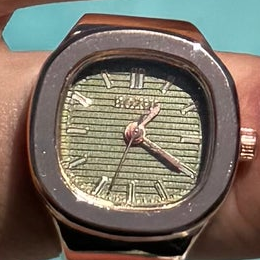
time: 1:20
